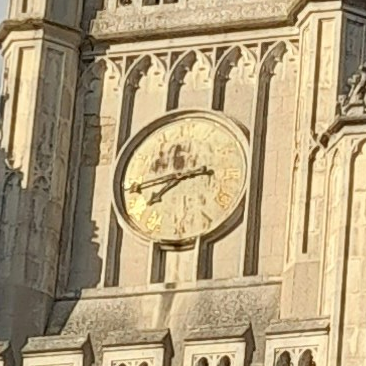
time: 7:43
